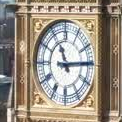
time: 11:14
